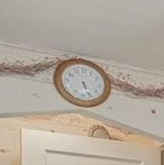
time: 5:26
